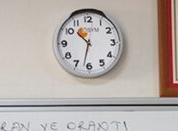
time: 10:32
